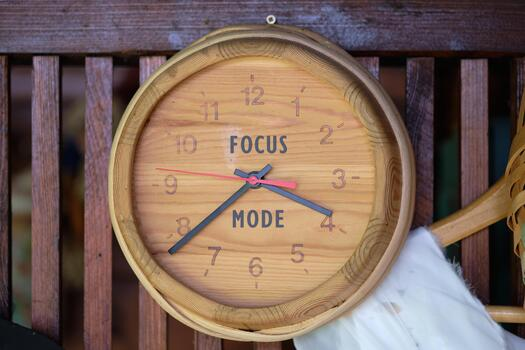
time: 3:38
